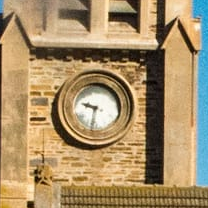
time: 9:32
